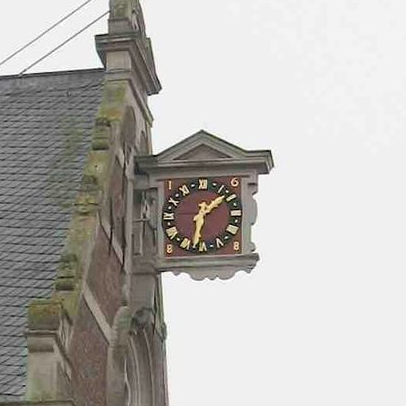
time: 1:32
